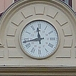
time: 11:43
